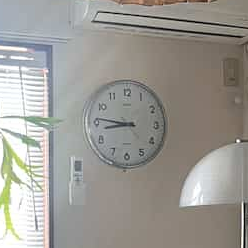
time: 8:46
